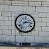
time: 2:38
